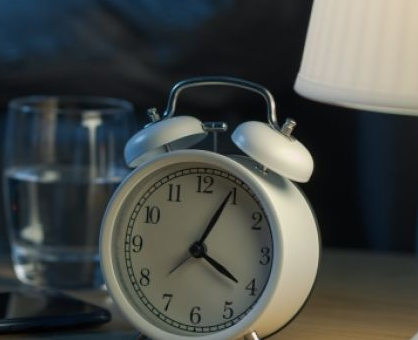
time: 4:04
